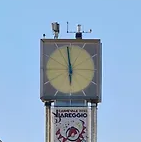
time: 5:58
